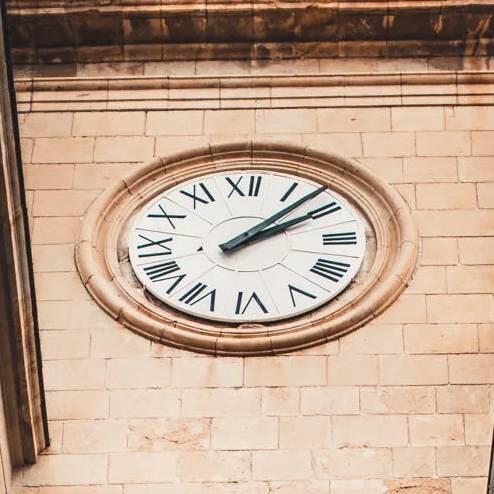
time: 2:07
